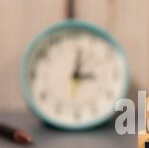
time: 3:02
